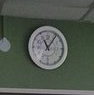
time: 11:06
